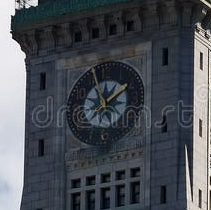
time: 1:56
